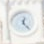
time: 12:23
